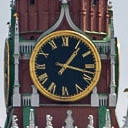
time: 1:17
